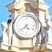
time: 4:38
